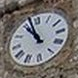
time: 10:57
